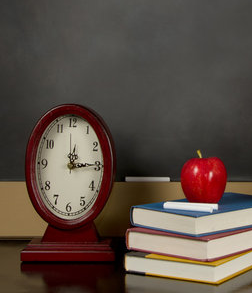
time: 12:14
